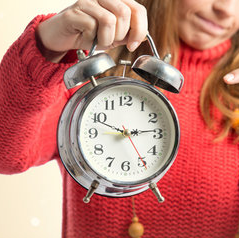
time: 2:48
